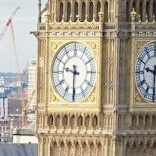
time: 9:30
